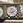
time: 8:37
